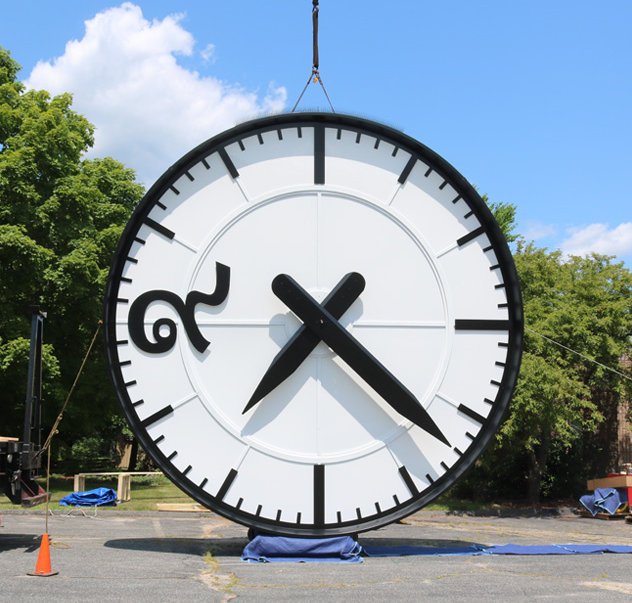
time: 7:22
